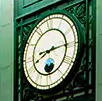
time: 8:14
